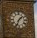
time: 1:33
